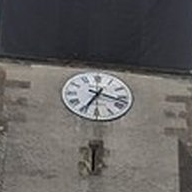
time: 3:34
